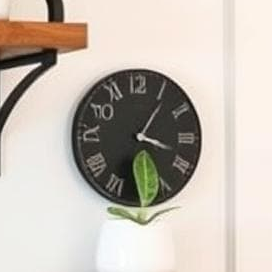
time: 1:18
